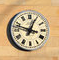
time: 12:47
